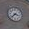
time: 3:37
